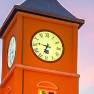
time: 6:46
